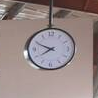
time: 7:49
